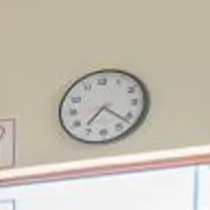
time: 7:22
